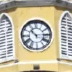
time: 10:14
